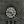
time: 4:46
